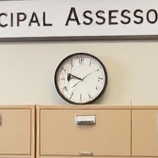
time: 9:45
